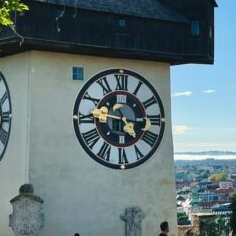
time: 4:46
